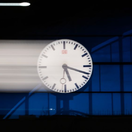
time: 5:18
